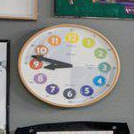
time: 8:47
